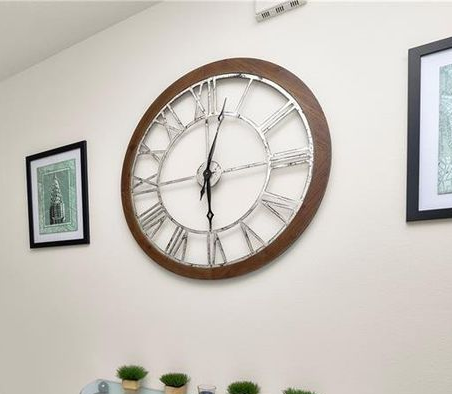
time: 6:02
